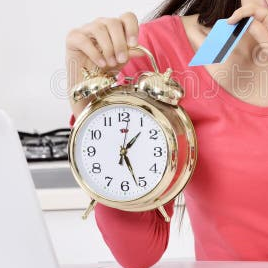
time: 1:26
